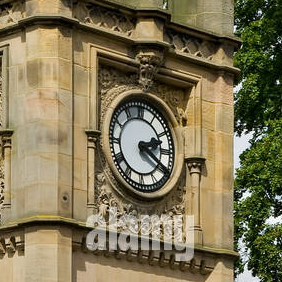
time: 2:20
